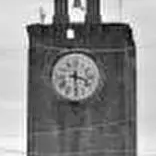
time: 3:29
